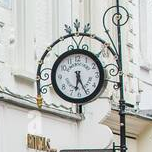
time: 6:26
